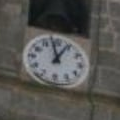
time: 12:57
